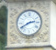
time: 2:40
